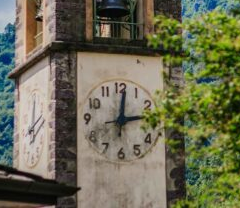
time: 12:13
